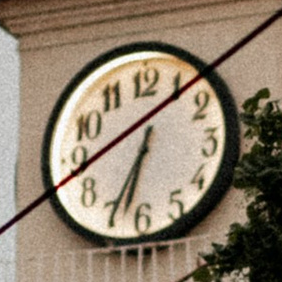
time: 6:34
